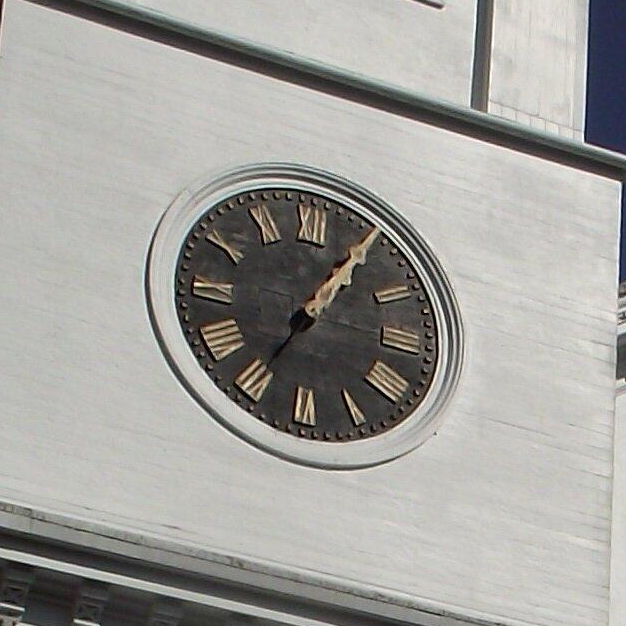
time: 1:05
